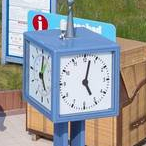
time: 5:02
